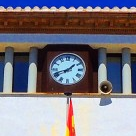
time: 1:41
